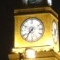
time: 7:36
